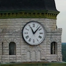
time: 11:07
